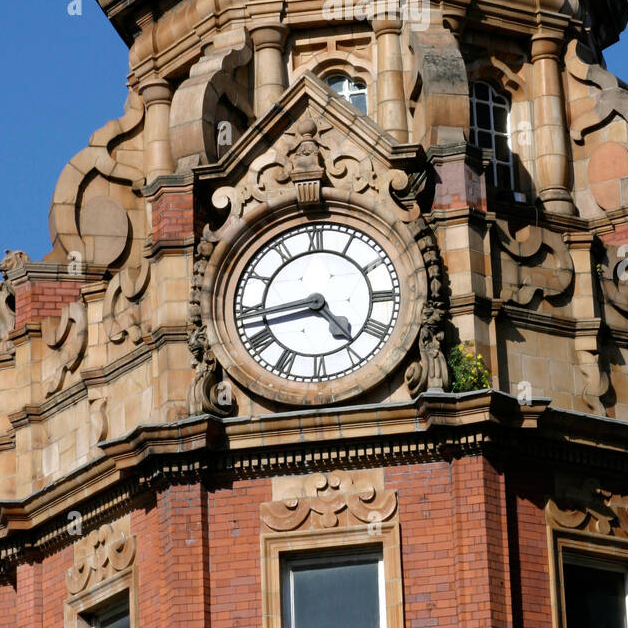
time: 4:42
